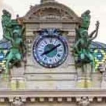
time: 8:09
